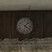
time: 4:07
